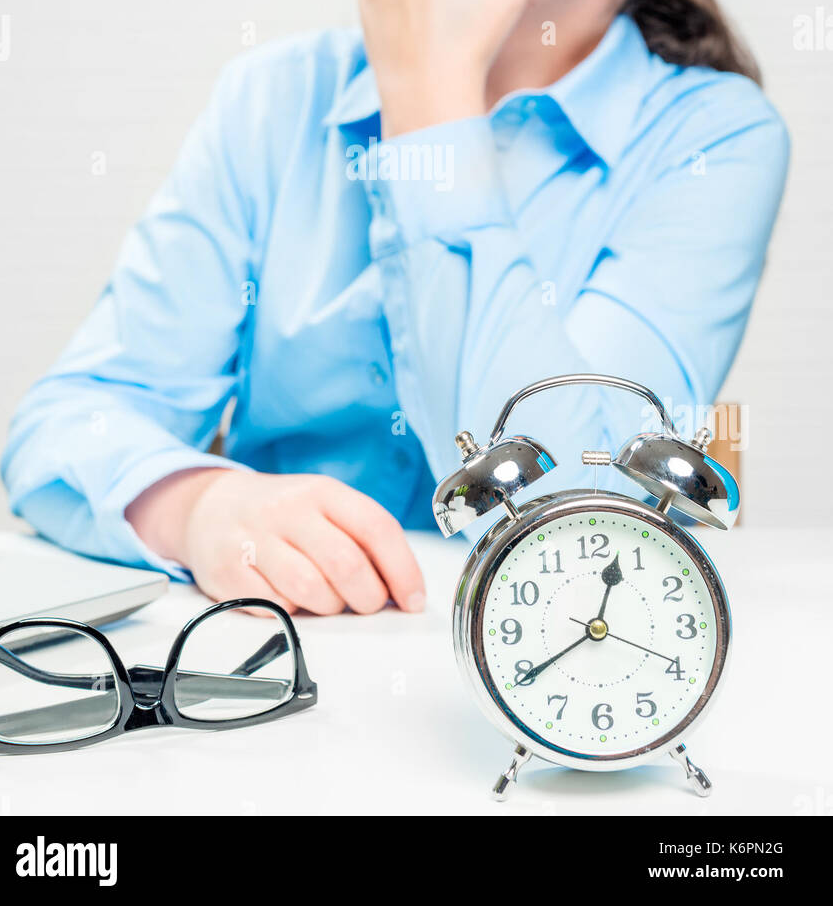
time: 12:39
